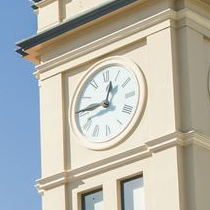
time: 12:45
